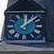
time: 12:07
